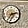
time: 2:35
